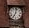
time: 7:02
